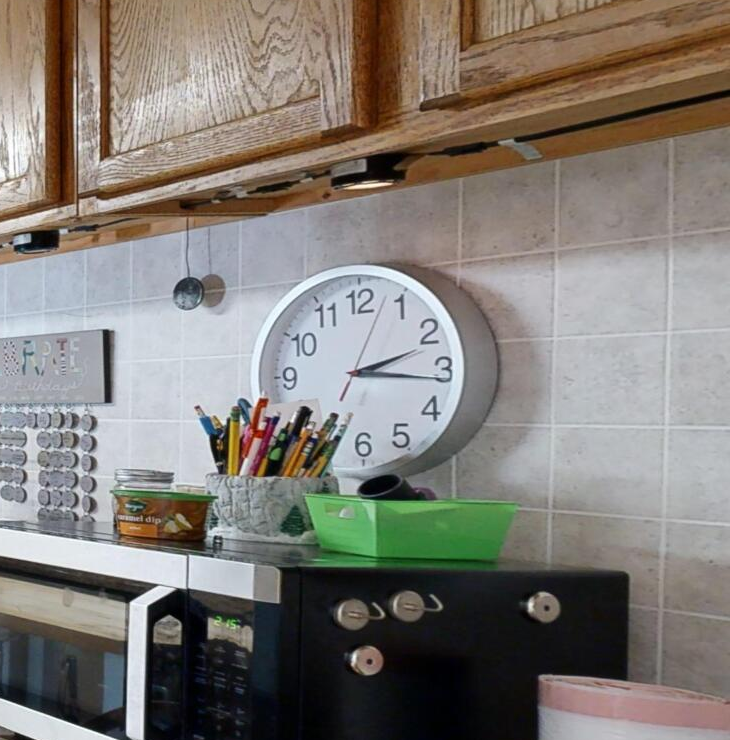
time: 2:16
